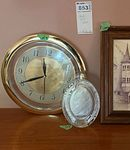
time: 11:40
